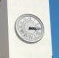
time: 3:14
